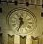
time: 11:33
